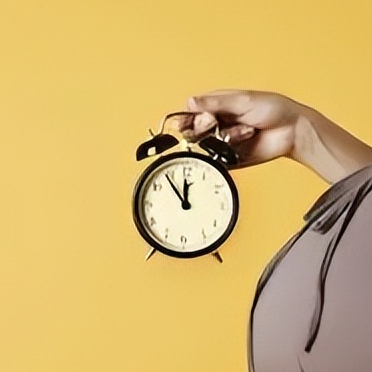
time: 11:53
